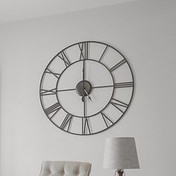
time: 12:00
